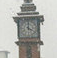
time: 4:00
